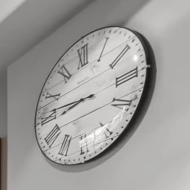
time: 8:46
